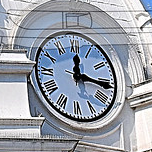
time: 12:15
